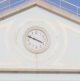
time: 3:48
